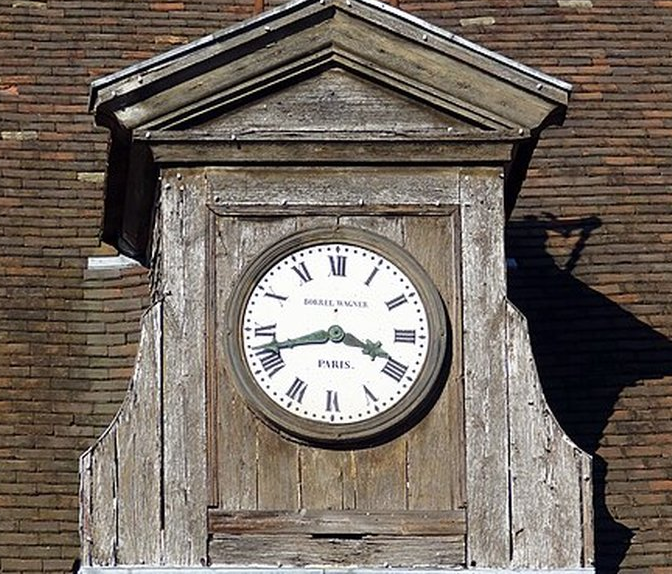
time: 3:42
